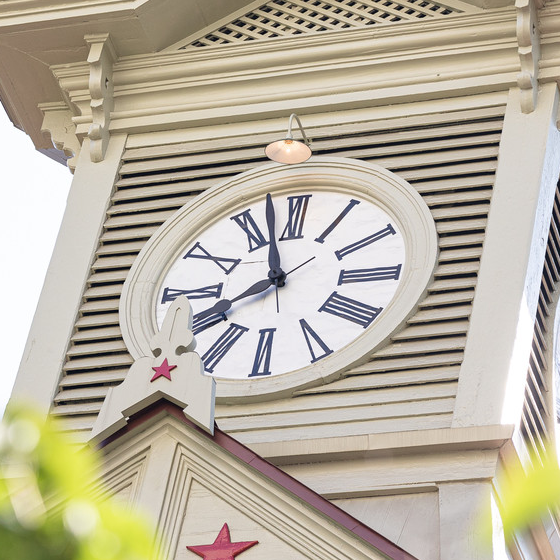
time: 7:57
